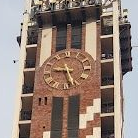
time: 8:26
